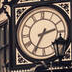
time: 2:34
